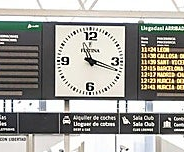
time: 11:18
